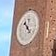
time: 10:22
